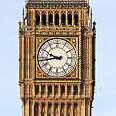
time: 9:43
